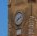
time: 7:37
